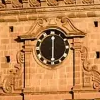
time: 6:00
